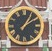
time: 1:09
